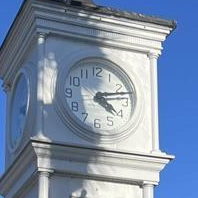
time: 4:12
